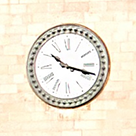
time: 10:17
